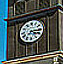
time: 7:16
